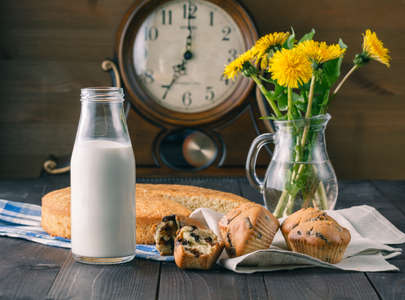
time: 7:00
